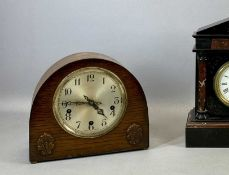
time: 4:45
